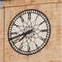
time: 7:42
